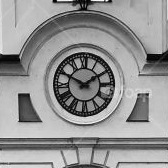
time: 1:49
